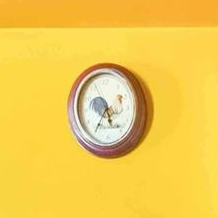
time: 5:35
